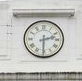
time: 2:30
